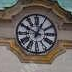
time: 12:49
